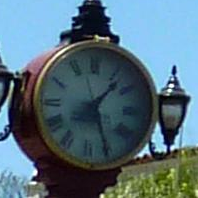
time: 1:26
